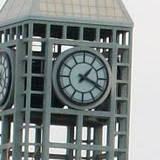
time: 1:18
